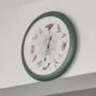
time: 12:32
